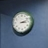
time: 3:12
